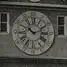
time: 10:11
